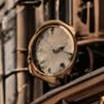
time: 2:18
